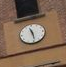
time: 11:28
